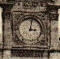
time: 3:02
